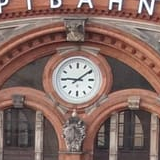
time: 9:09
